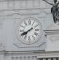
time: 7:40
